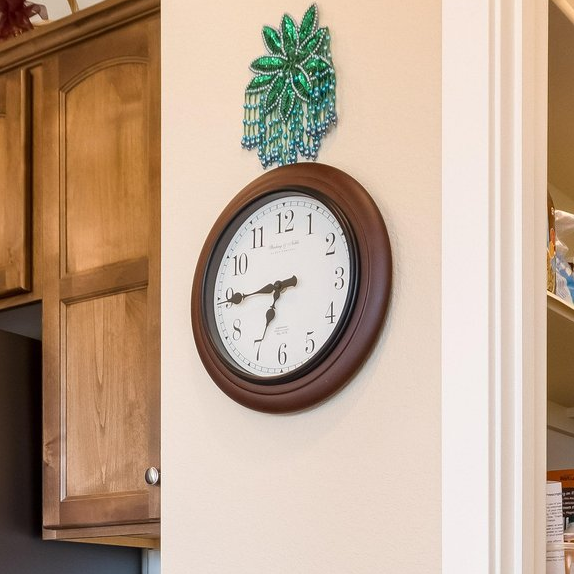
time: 6:44
